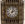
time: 2:02
